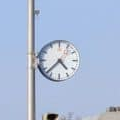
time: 4:37
